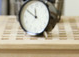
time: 11:50
